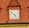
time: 4:52
